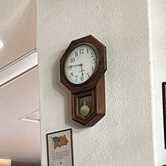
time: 5:45
